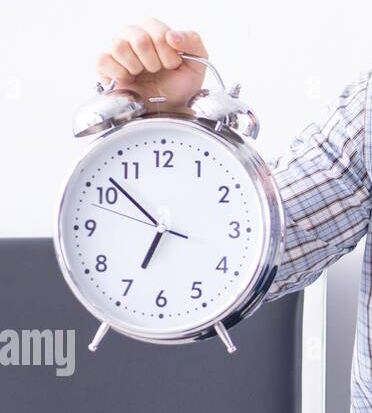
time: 6:52
